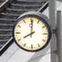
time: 8:00
